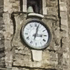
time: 3:02
